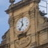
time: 11:35
